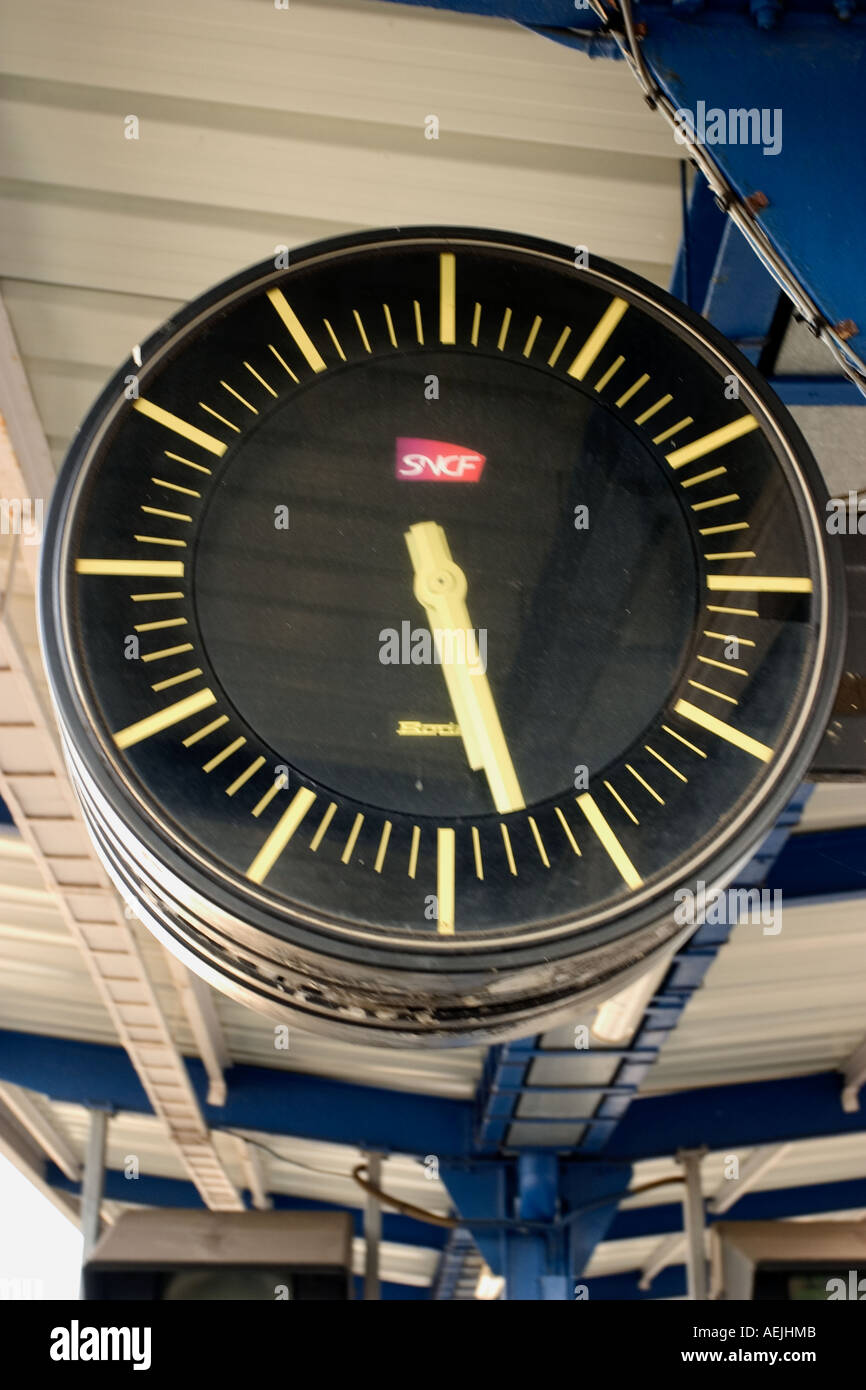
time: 5:27
